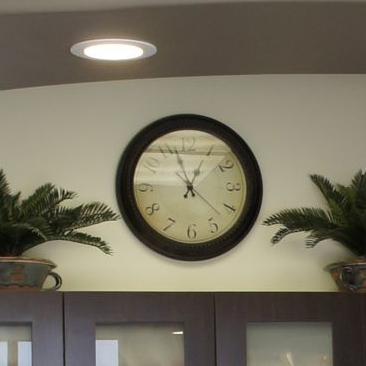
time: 12:57
